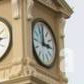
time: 2:58
